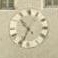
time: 10:34
